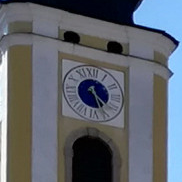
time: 4:26
